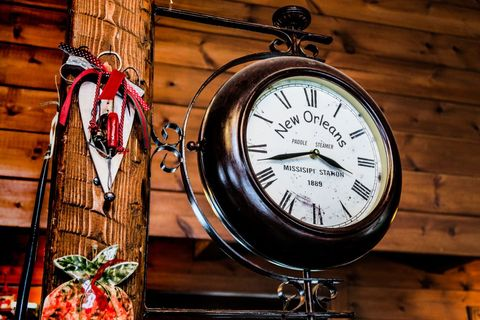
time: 3:42
